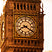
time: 8:20
